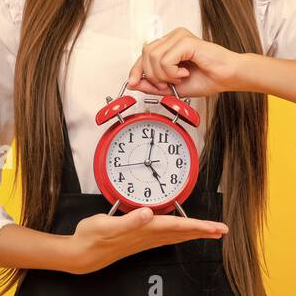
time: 5:01
